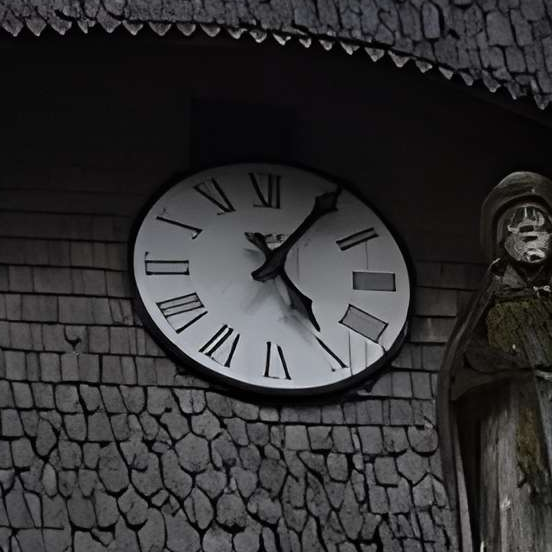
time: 5:05
